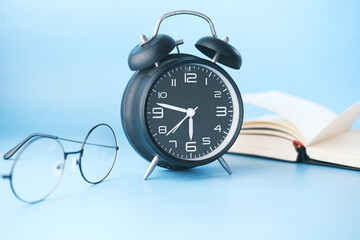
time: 5:47
